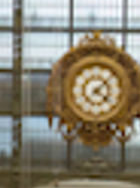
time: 4:07
